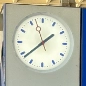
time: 1:38
